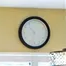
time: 10:32
